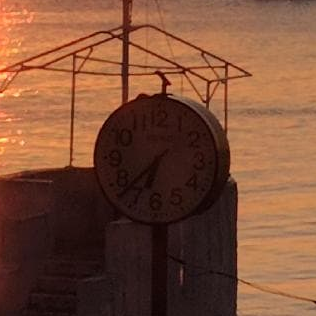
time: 6:37
